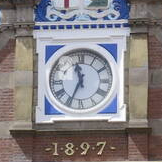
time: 11:34
